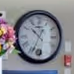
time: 10:34
